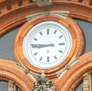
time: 8:45
